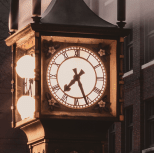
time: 7:26
